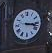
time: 3:17
